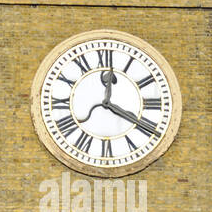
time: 12:19
